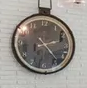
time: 2:23
